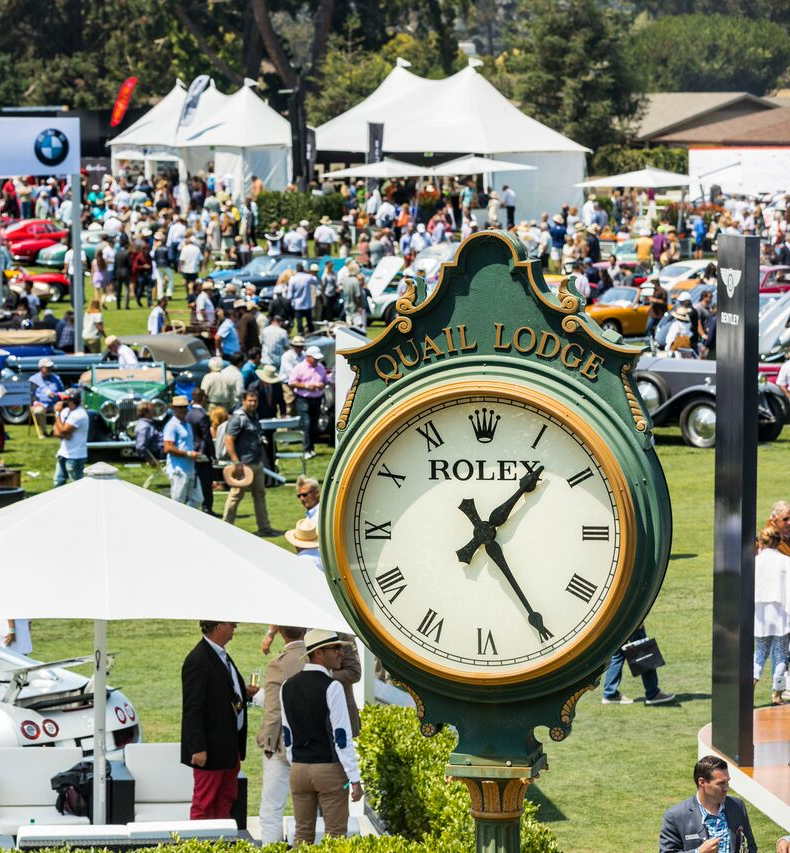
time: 1:24
